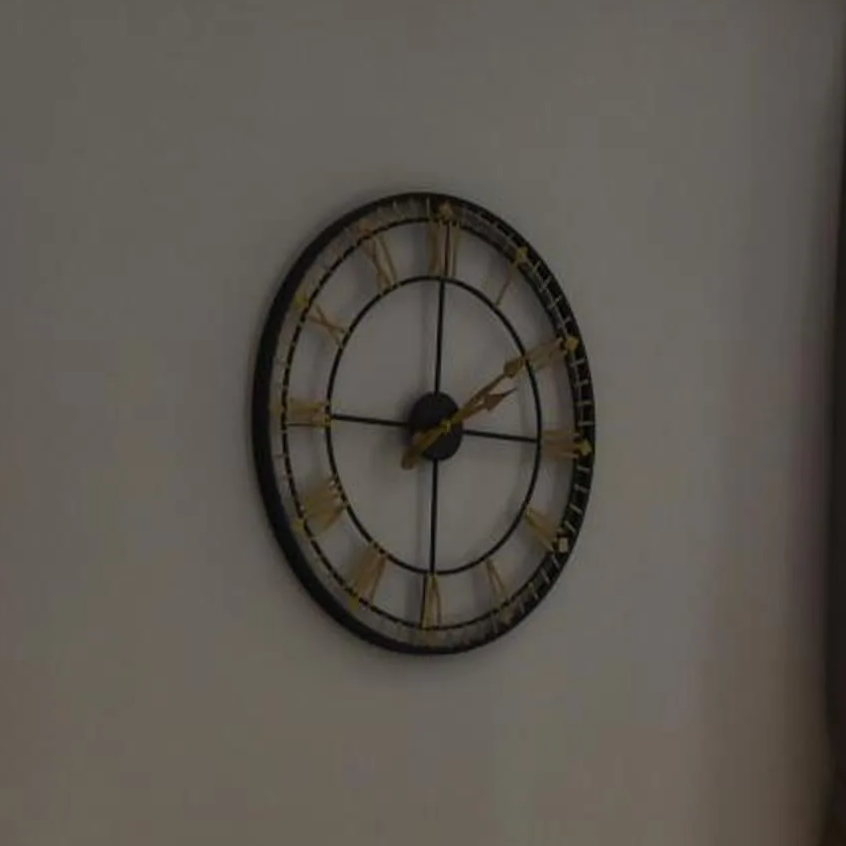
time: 2:00
